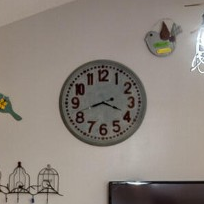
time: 3:42
